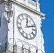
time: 12:11
